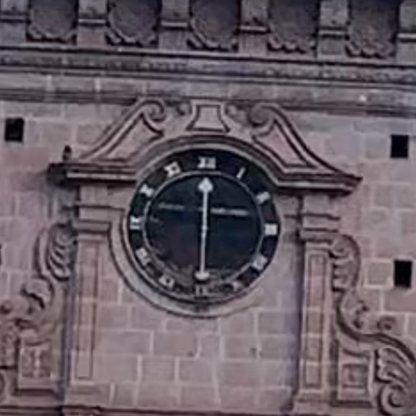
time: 6:00
